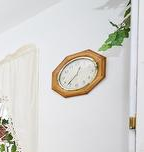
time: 12:36
